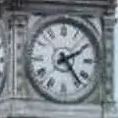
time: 2:23
